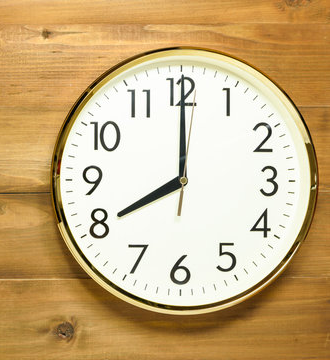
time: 8:00
